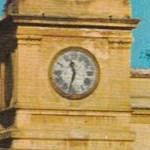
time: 11:32
